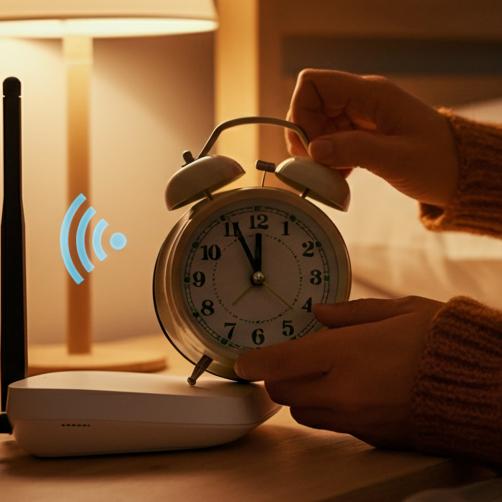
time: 11:55
